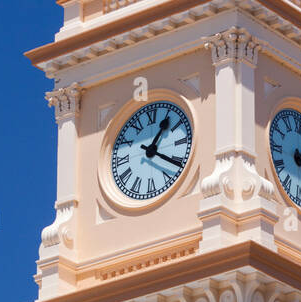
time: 1:20
